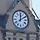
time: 12:10
